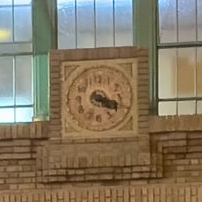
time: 4:18
